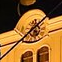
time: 7:07
